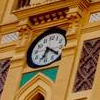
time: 6:20
